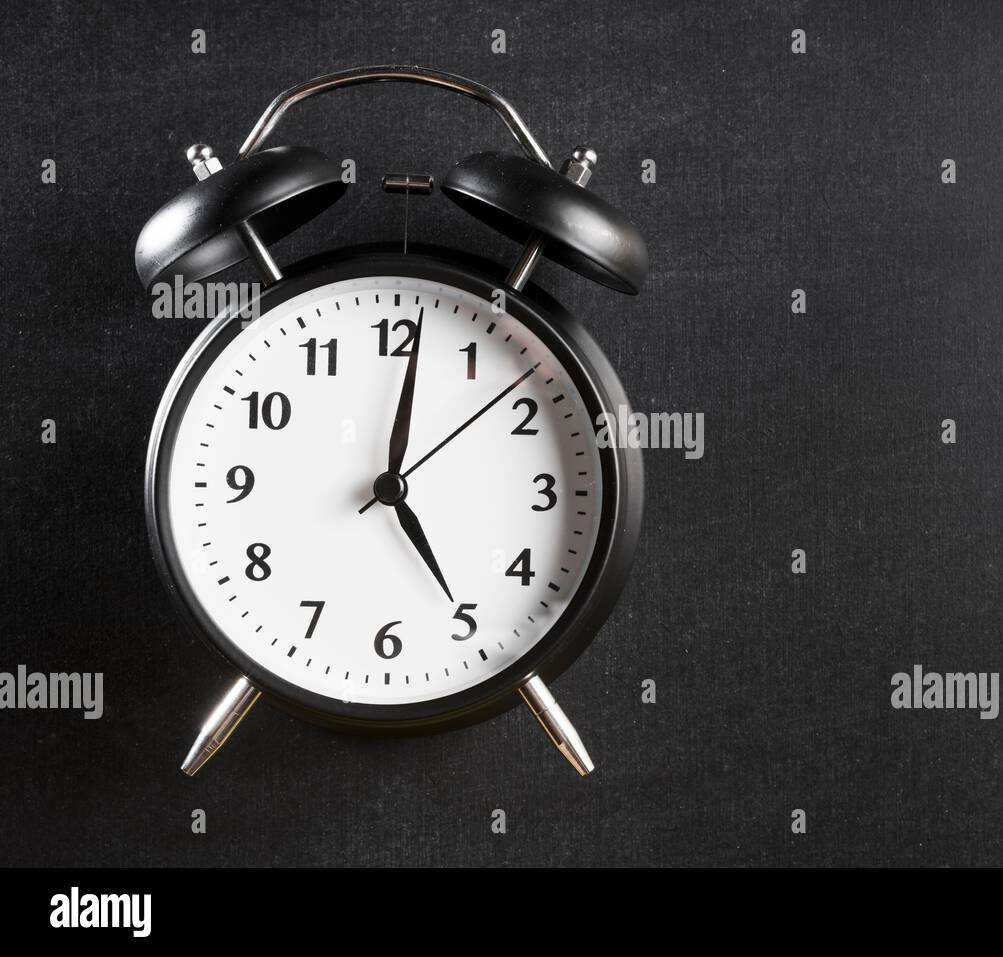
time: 5:01
